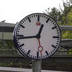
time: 12:43
